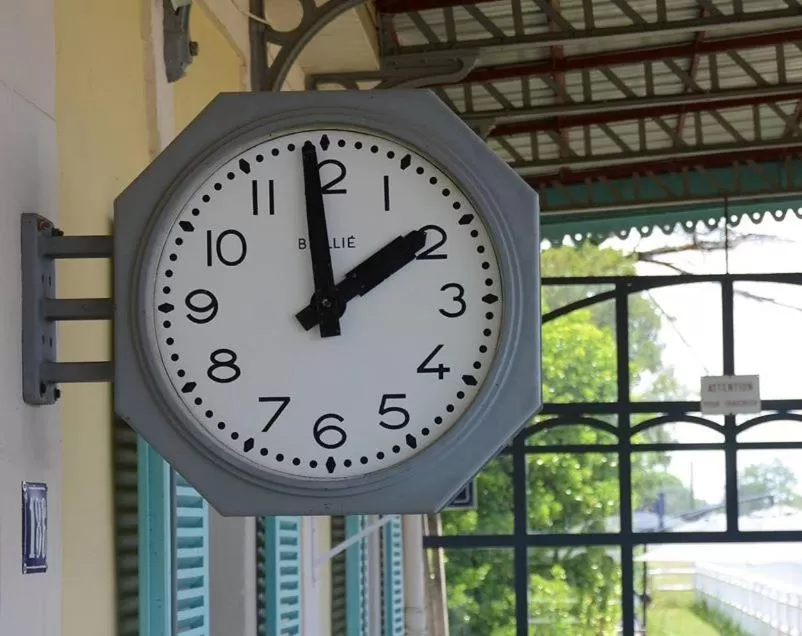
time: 1:59
